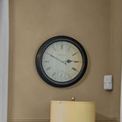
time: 2:49
